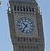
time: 10:36
